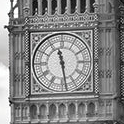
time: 11:28
